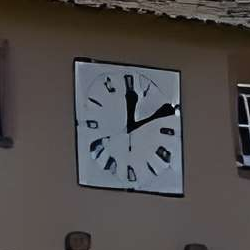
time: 12:10
